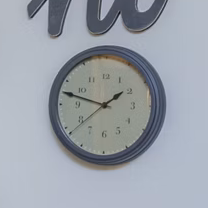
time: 1:47
